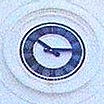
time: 10:14
